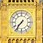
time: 7:36
